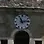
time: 11:13
